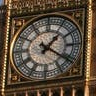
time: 1:20
